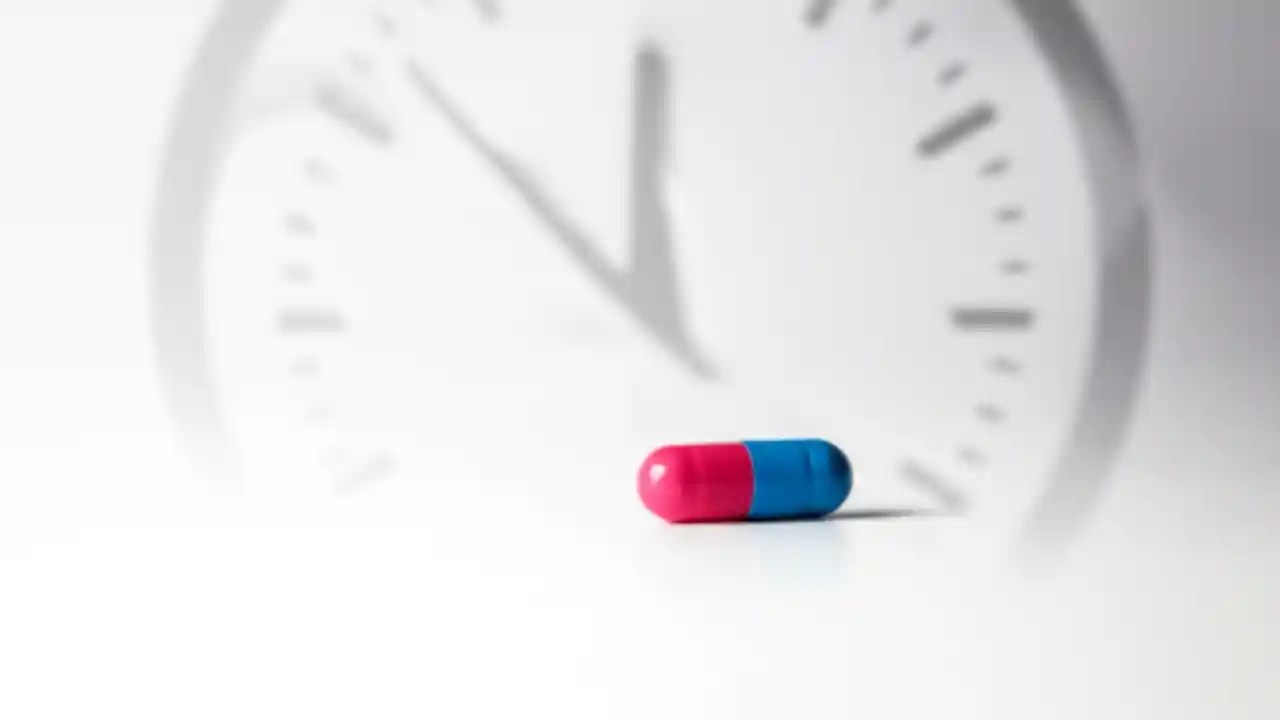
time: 11:52
